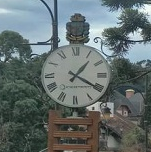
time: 1:20
